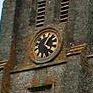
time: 4:04
